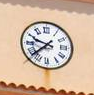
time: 9:38
